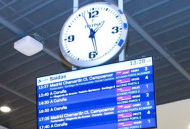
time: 1:28
